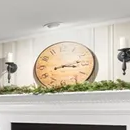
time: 3:12
